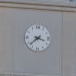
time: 3:38
